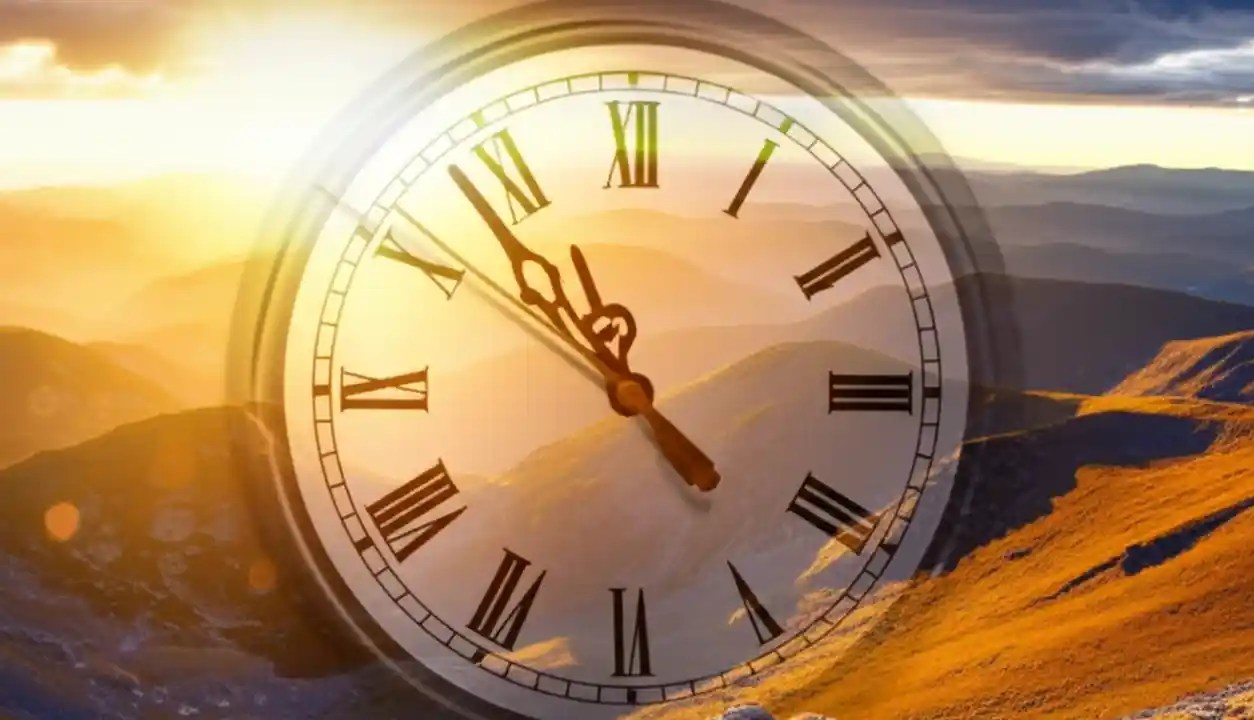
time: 10:52
